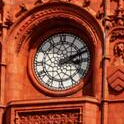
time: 3:11
